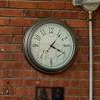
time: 4:06
